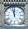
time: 11:57
